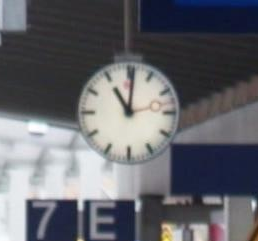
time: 11:01
